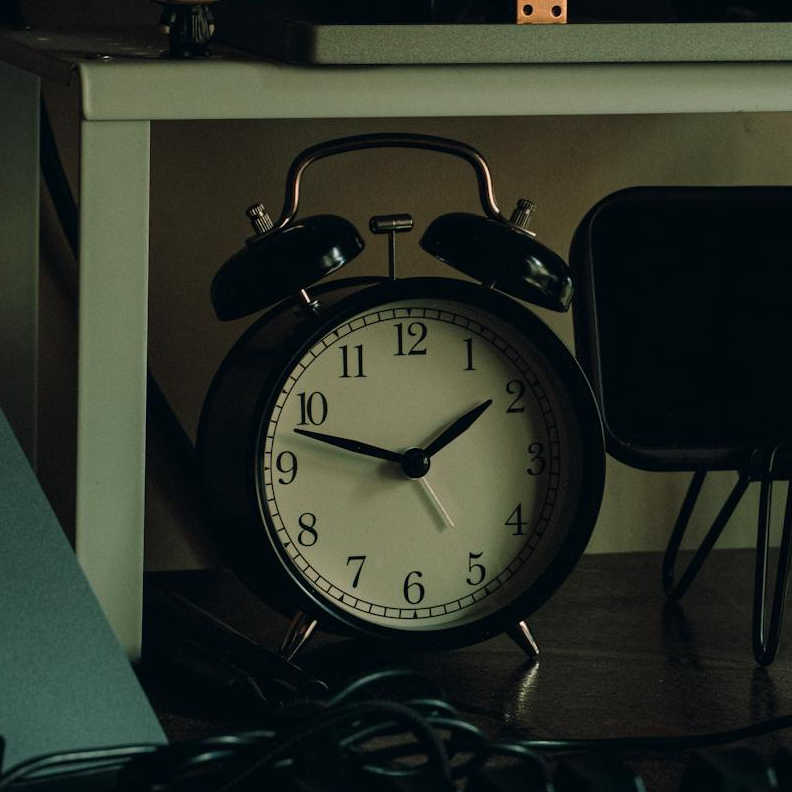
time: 1:47
